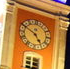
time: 4:50
